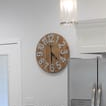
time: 4:29
